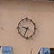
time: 9:34
